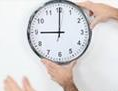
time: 9:00
